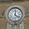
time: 12:21
